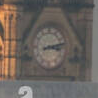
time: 3:12
